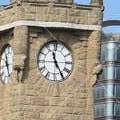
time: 11:24
